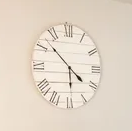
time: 5:52
